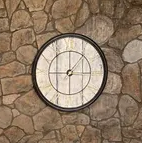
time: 12:07
